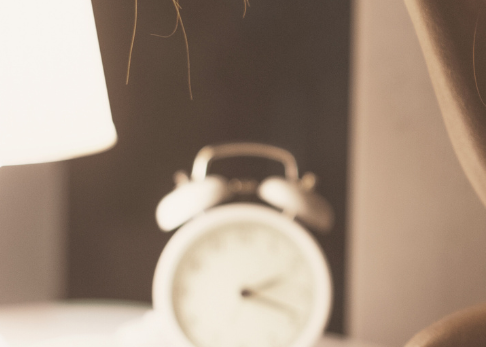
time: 2:18
